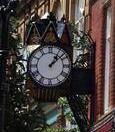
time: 1:08
